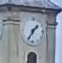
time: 1:35
